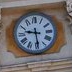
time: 9:29
